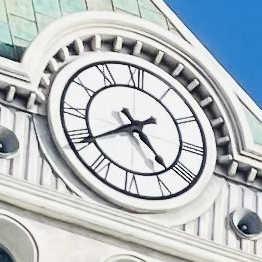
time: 4:39
